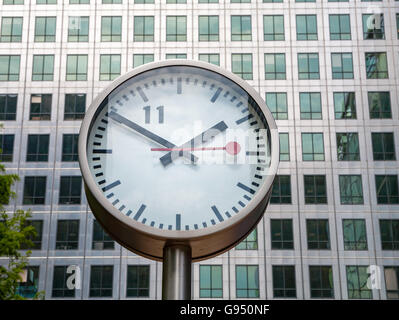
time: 1:50
